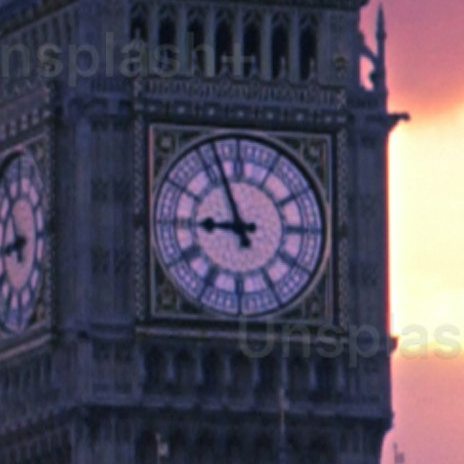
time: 8:56
